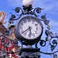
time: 5:38
